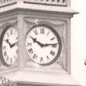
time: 10:13
